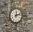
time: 12:12
